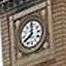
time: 8:01
